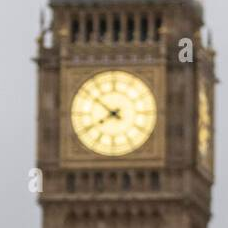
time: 7:51
